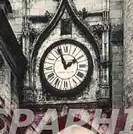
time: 1:56
